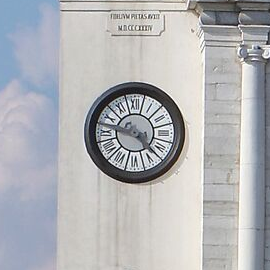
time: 9:22
